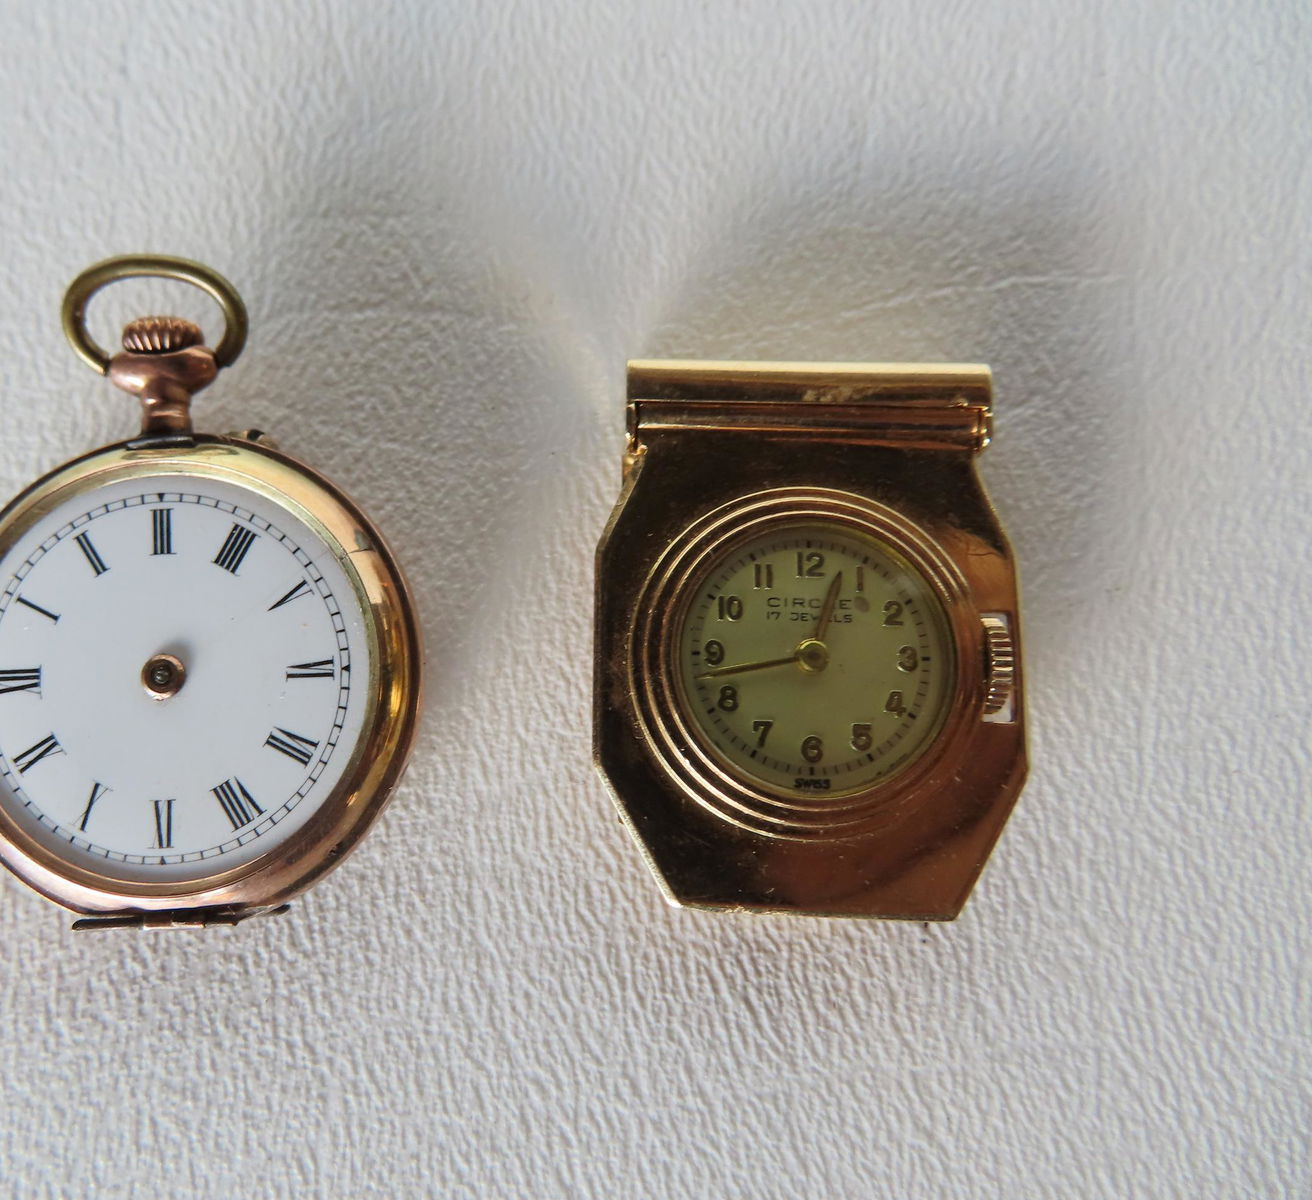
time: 12:42
